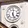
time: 12:26
